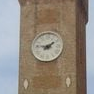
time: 1:46
